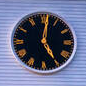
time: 5:01
